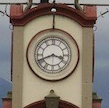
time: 3:41
